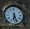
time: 6:26
